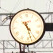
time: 4:26
